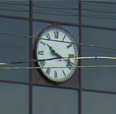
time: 10:17
